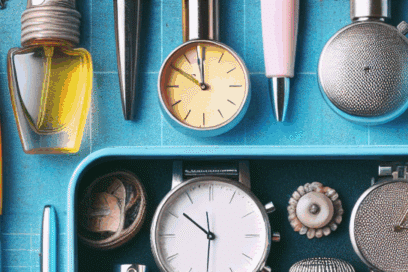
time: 9:59
